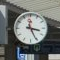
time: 3:25
